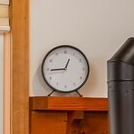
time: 12:44
